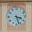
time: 3:27
